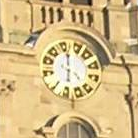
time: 6:00
